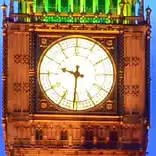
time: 9:31
